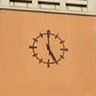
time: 4:59
